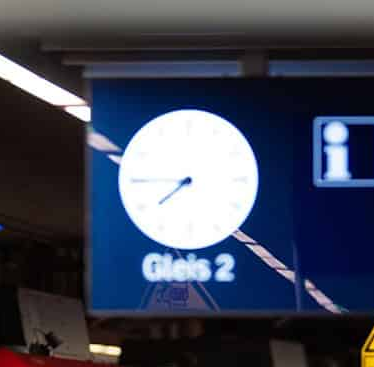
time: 7:45
